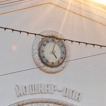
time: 5:02
